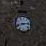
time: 2:42
